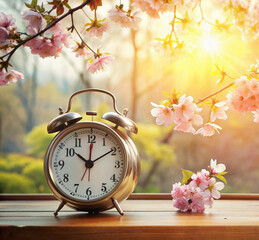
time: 10:09
